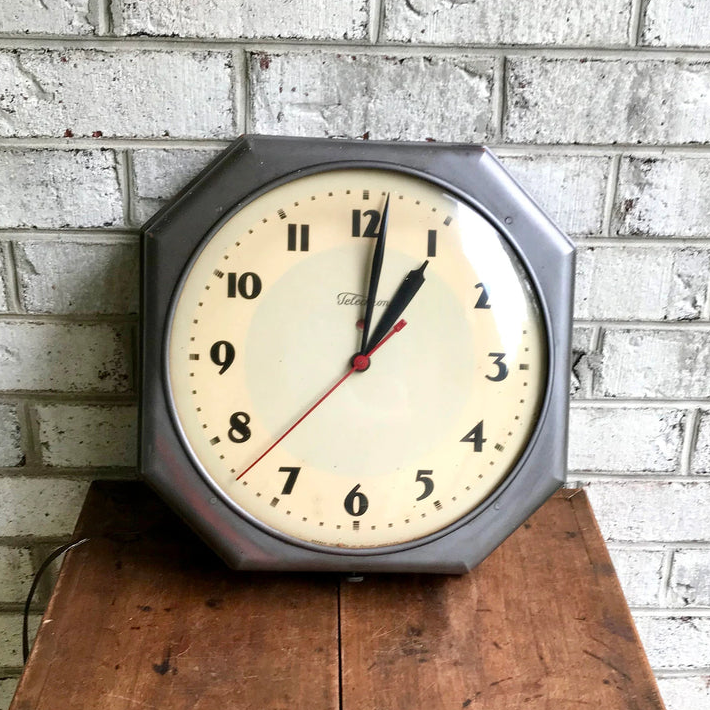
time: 1:01
